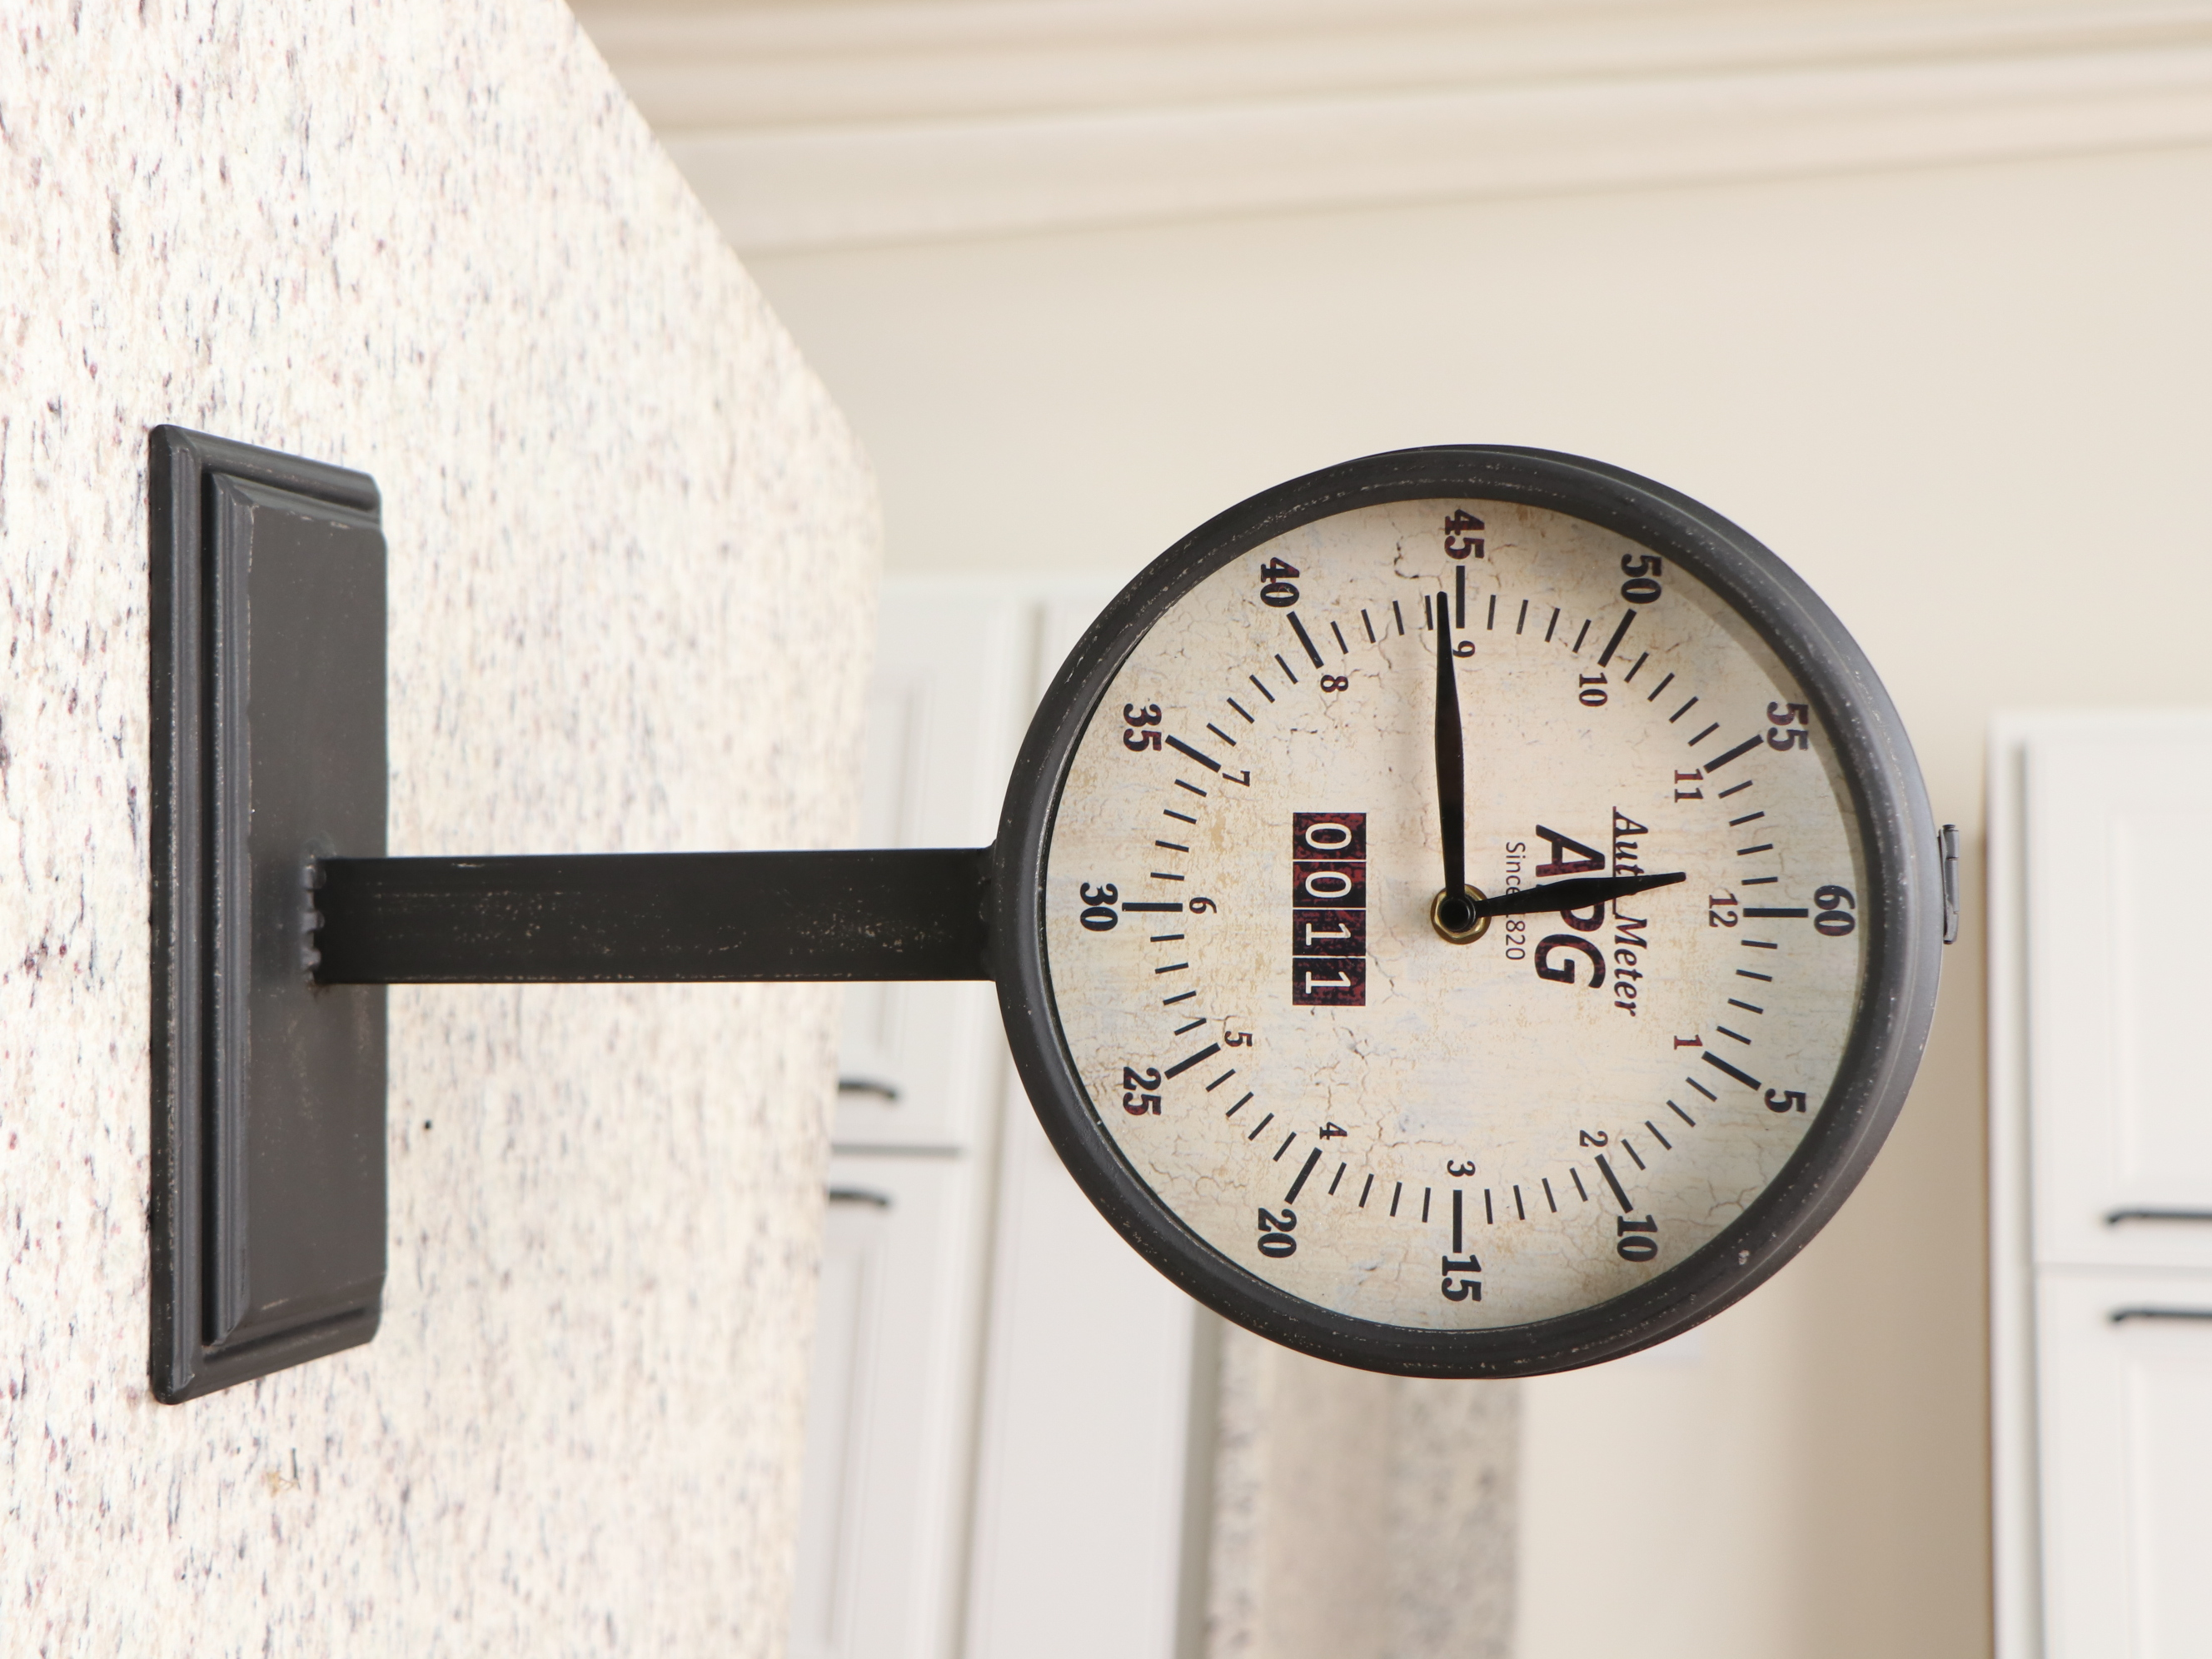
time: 2:59
